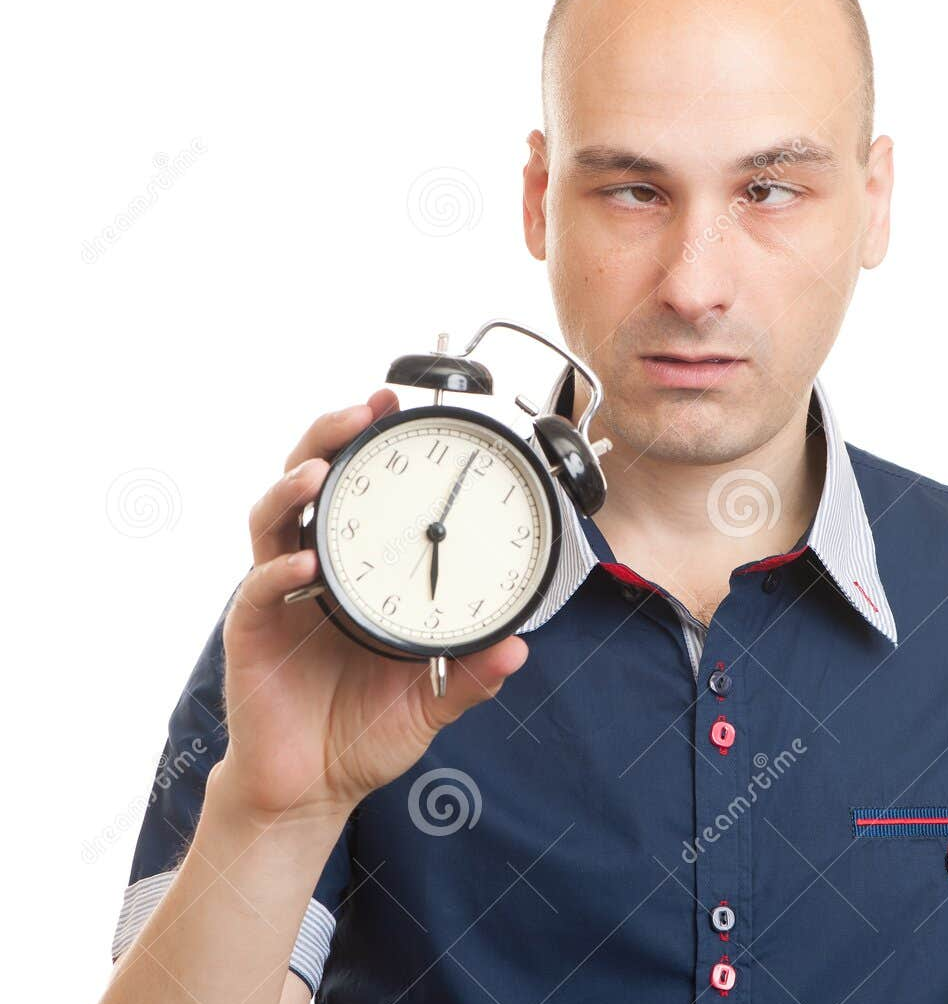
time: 6:04
